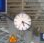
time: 5:18
